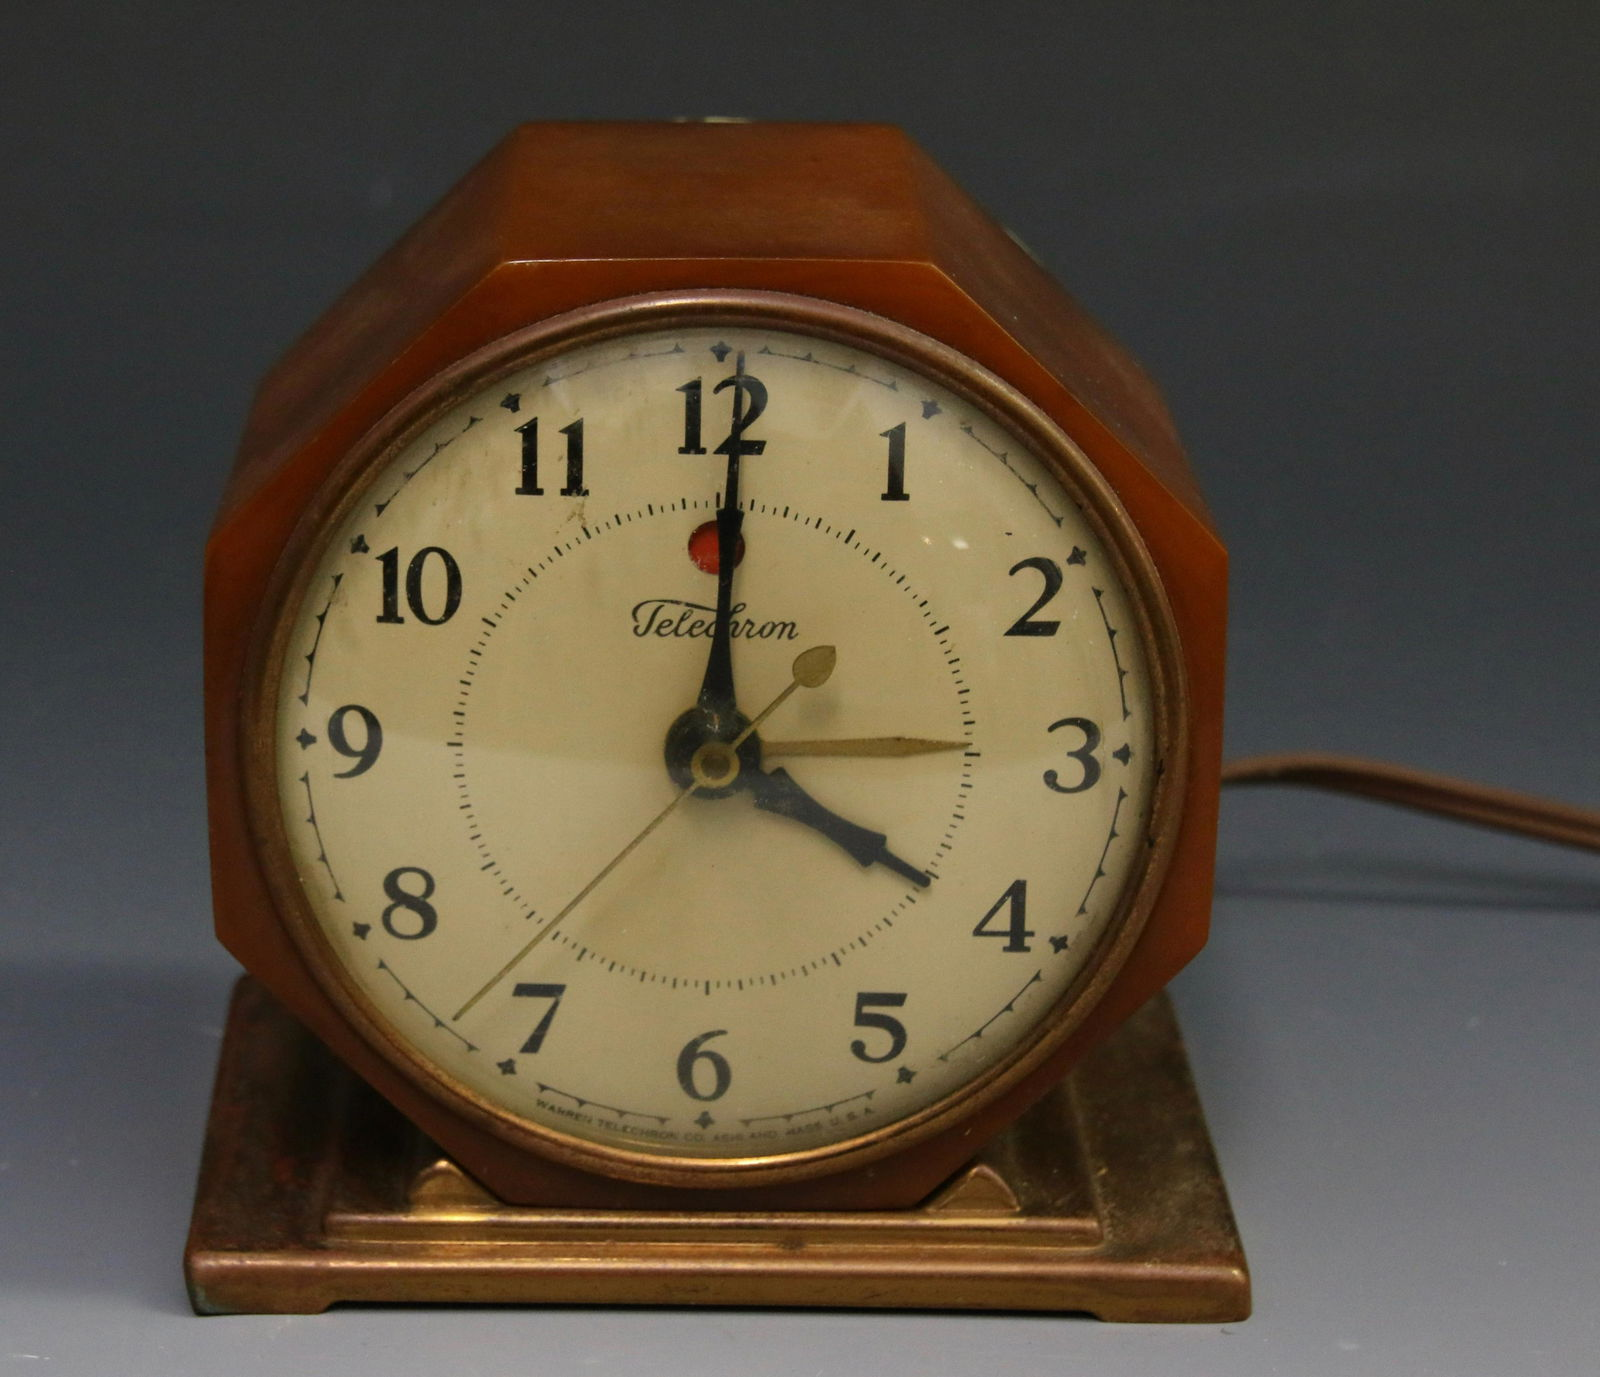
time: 4:00
